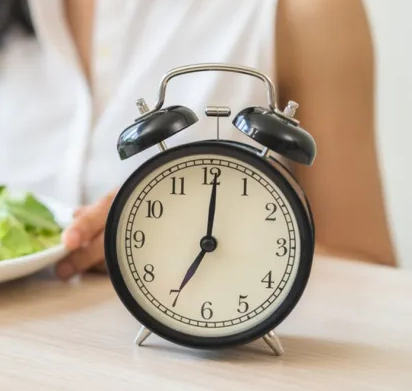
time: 7:00
